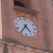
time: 4:35
